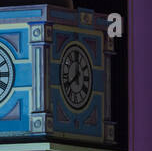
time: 12:40
